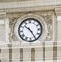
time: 10:24
